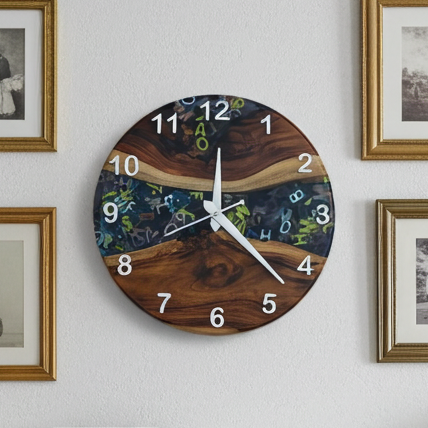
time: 12:22
